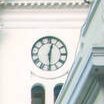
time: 12:29
